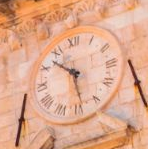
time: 10:28
